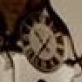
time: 10:36
